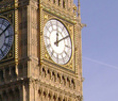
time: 12:09
